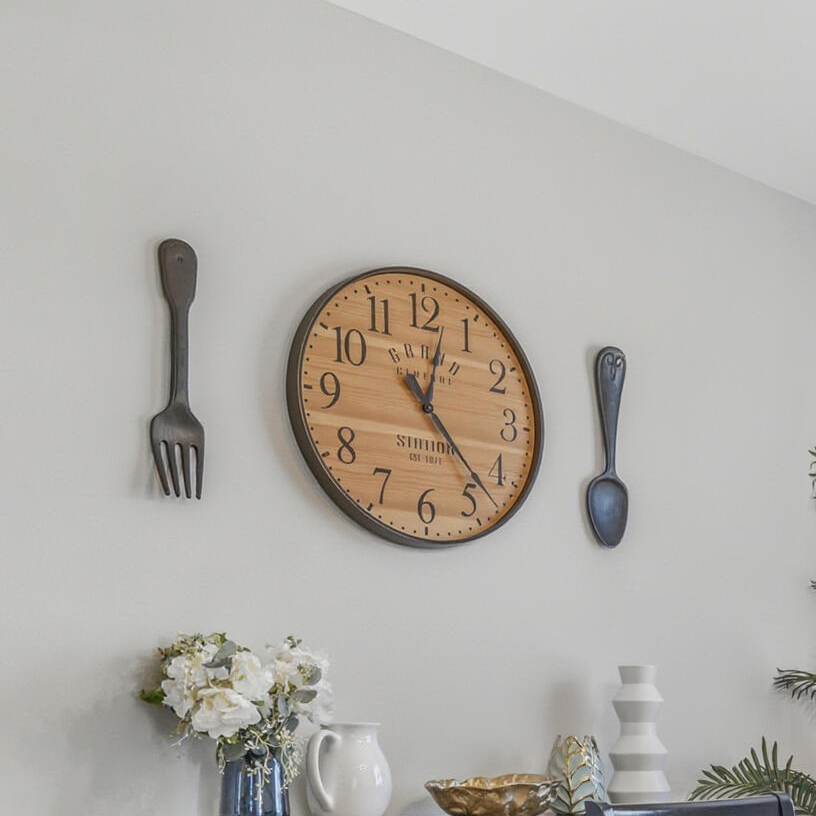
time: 12:22
